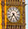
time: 7:23
